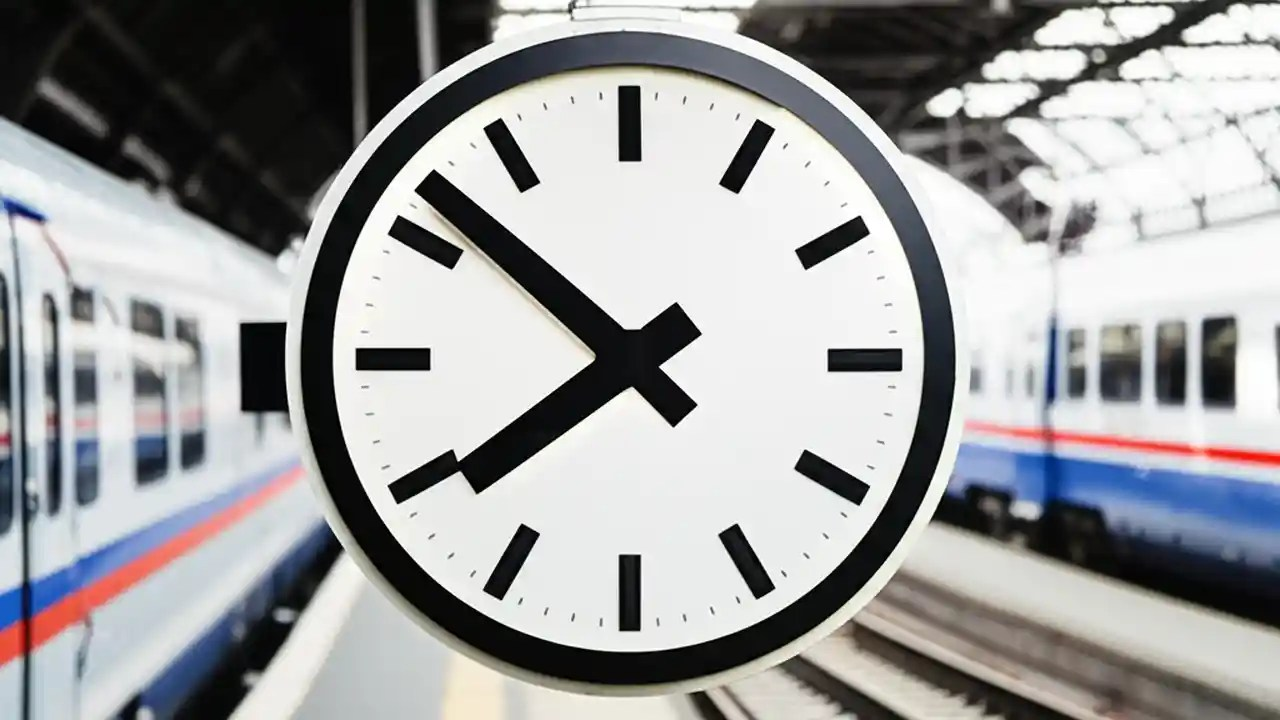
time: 7:51
